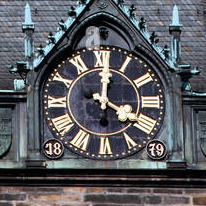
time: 4:01
